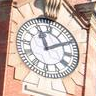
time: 11:09
